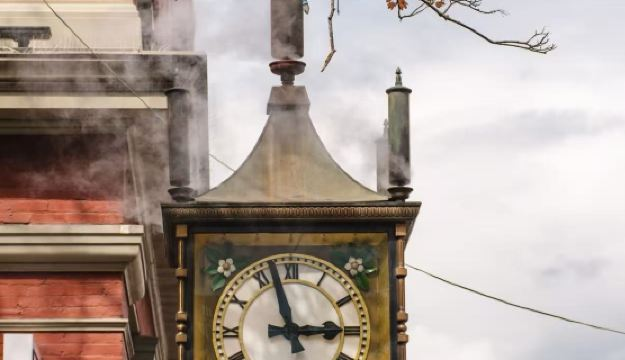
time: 2:57
